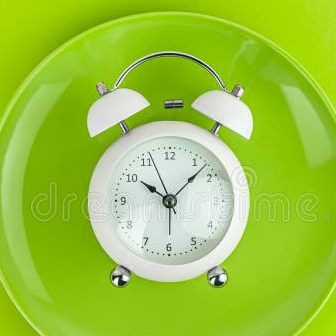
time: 10:07
